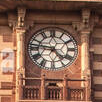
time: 4:46
